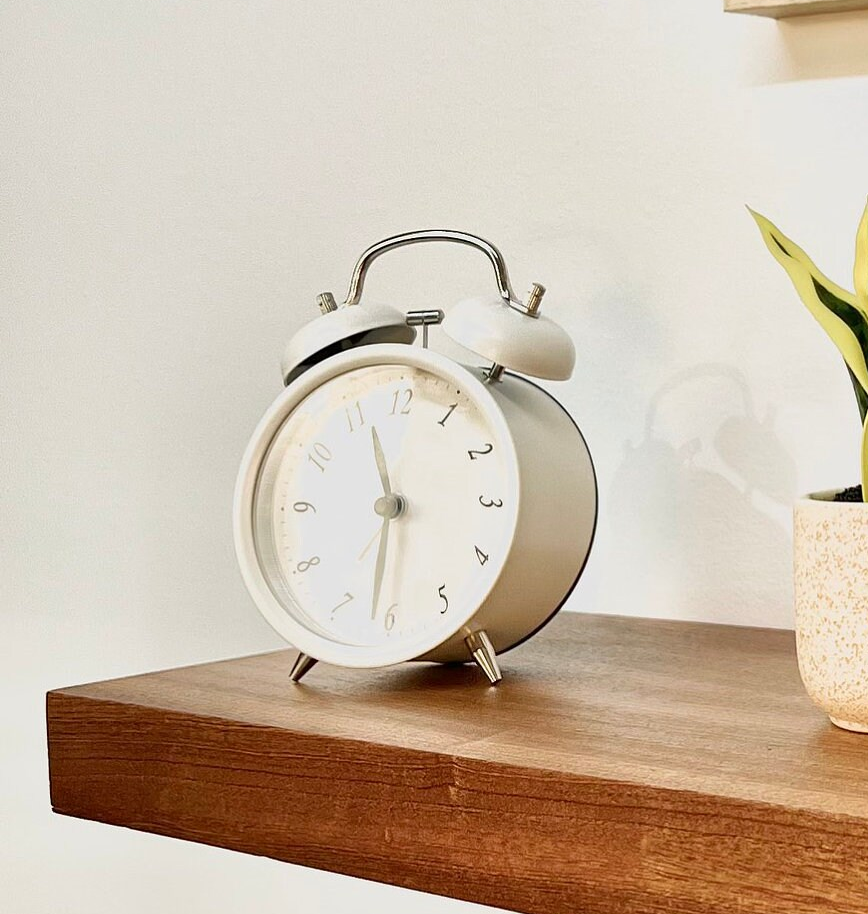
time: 11:31
